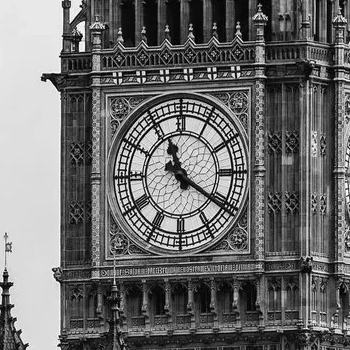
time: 11:20
